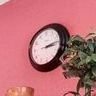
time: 3:14
